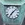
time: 7:07
